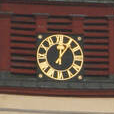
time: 12:06
